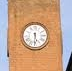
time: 5:30
